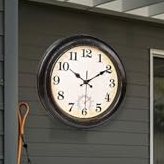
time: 10:09
